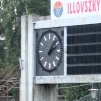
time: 2:06
